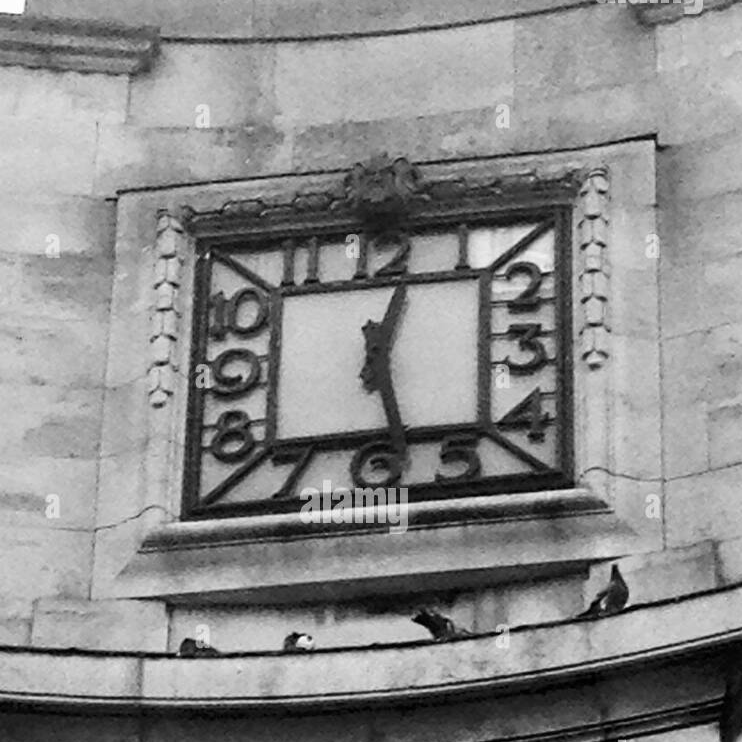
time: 12:27
